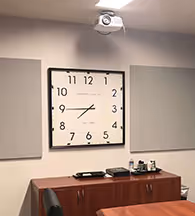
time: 7:44
